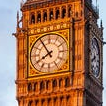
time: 7:54
